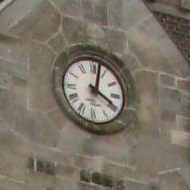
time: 4:02
